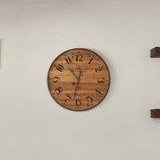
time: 10:32
